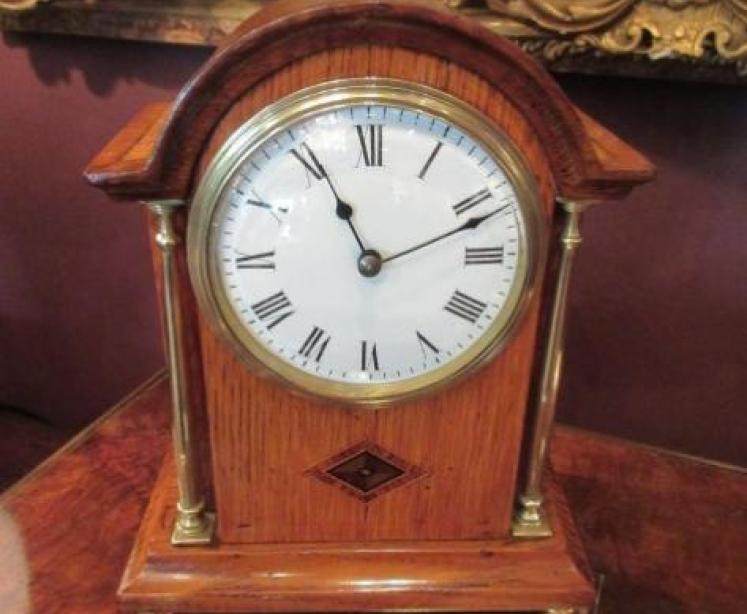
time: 11:11
